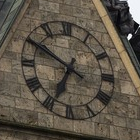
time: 6:50
